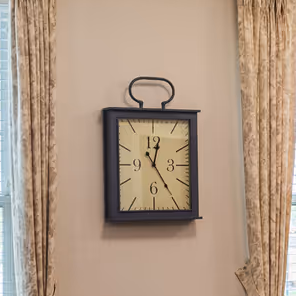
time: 12:23
